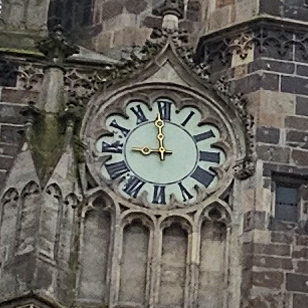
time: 8:58
